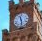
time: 11:28
